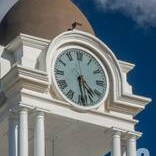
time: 4:28
